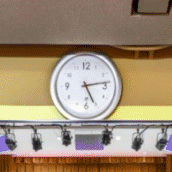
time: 5:13
